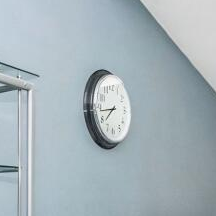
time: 7:43
